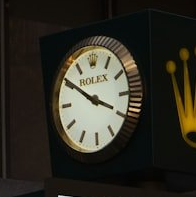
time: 3:50
